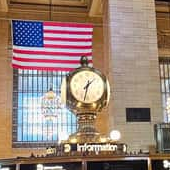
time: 1:32
